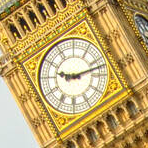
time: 9:12
